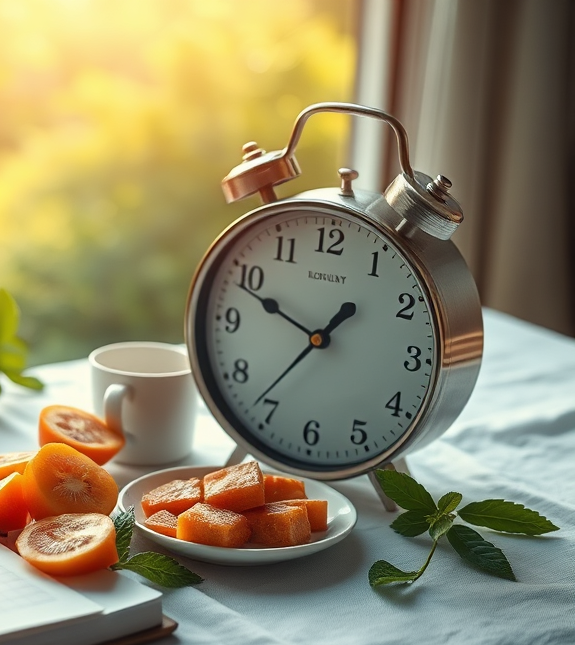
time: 9:36
